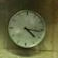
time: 4:16
